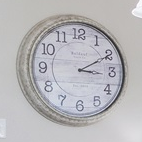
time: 3:10
